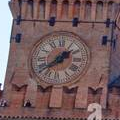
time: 1:39
